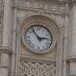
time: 2:53
